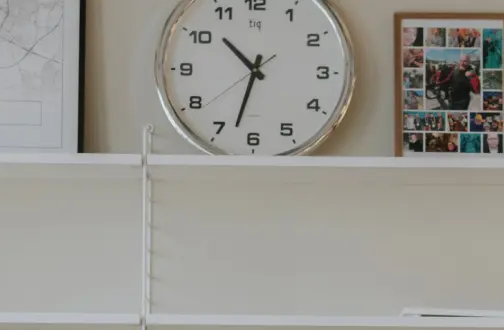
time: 10:32
